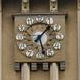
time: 1:28
